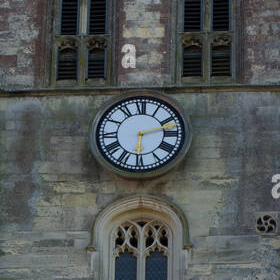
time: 6:11
